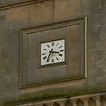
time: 3:34
